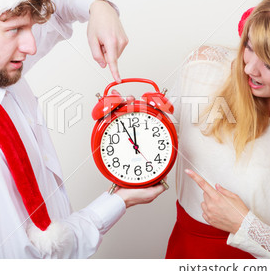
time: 11:55
